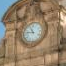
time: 11:46
